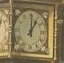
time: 1:00
